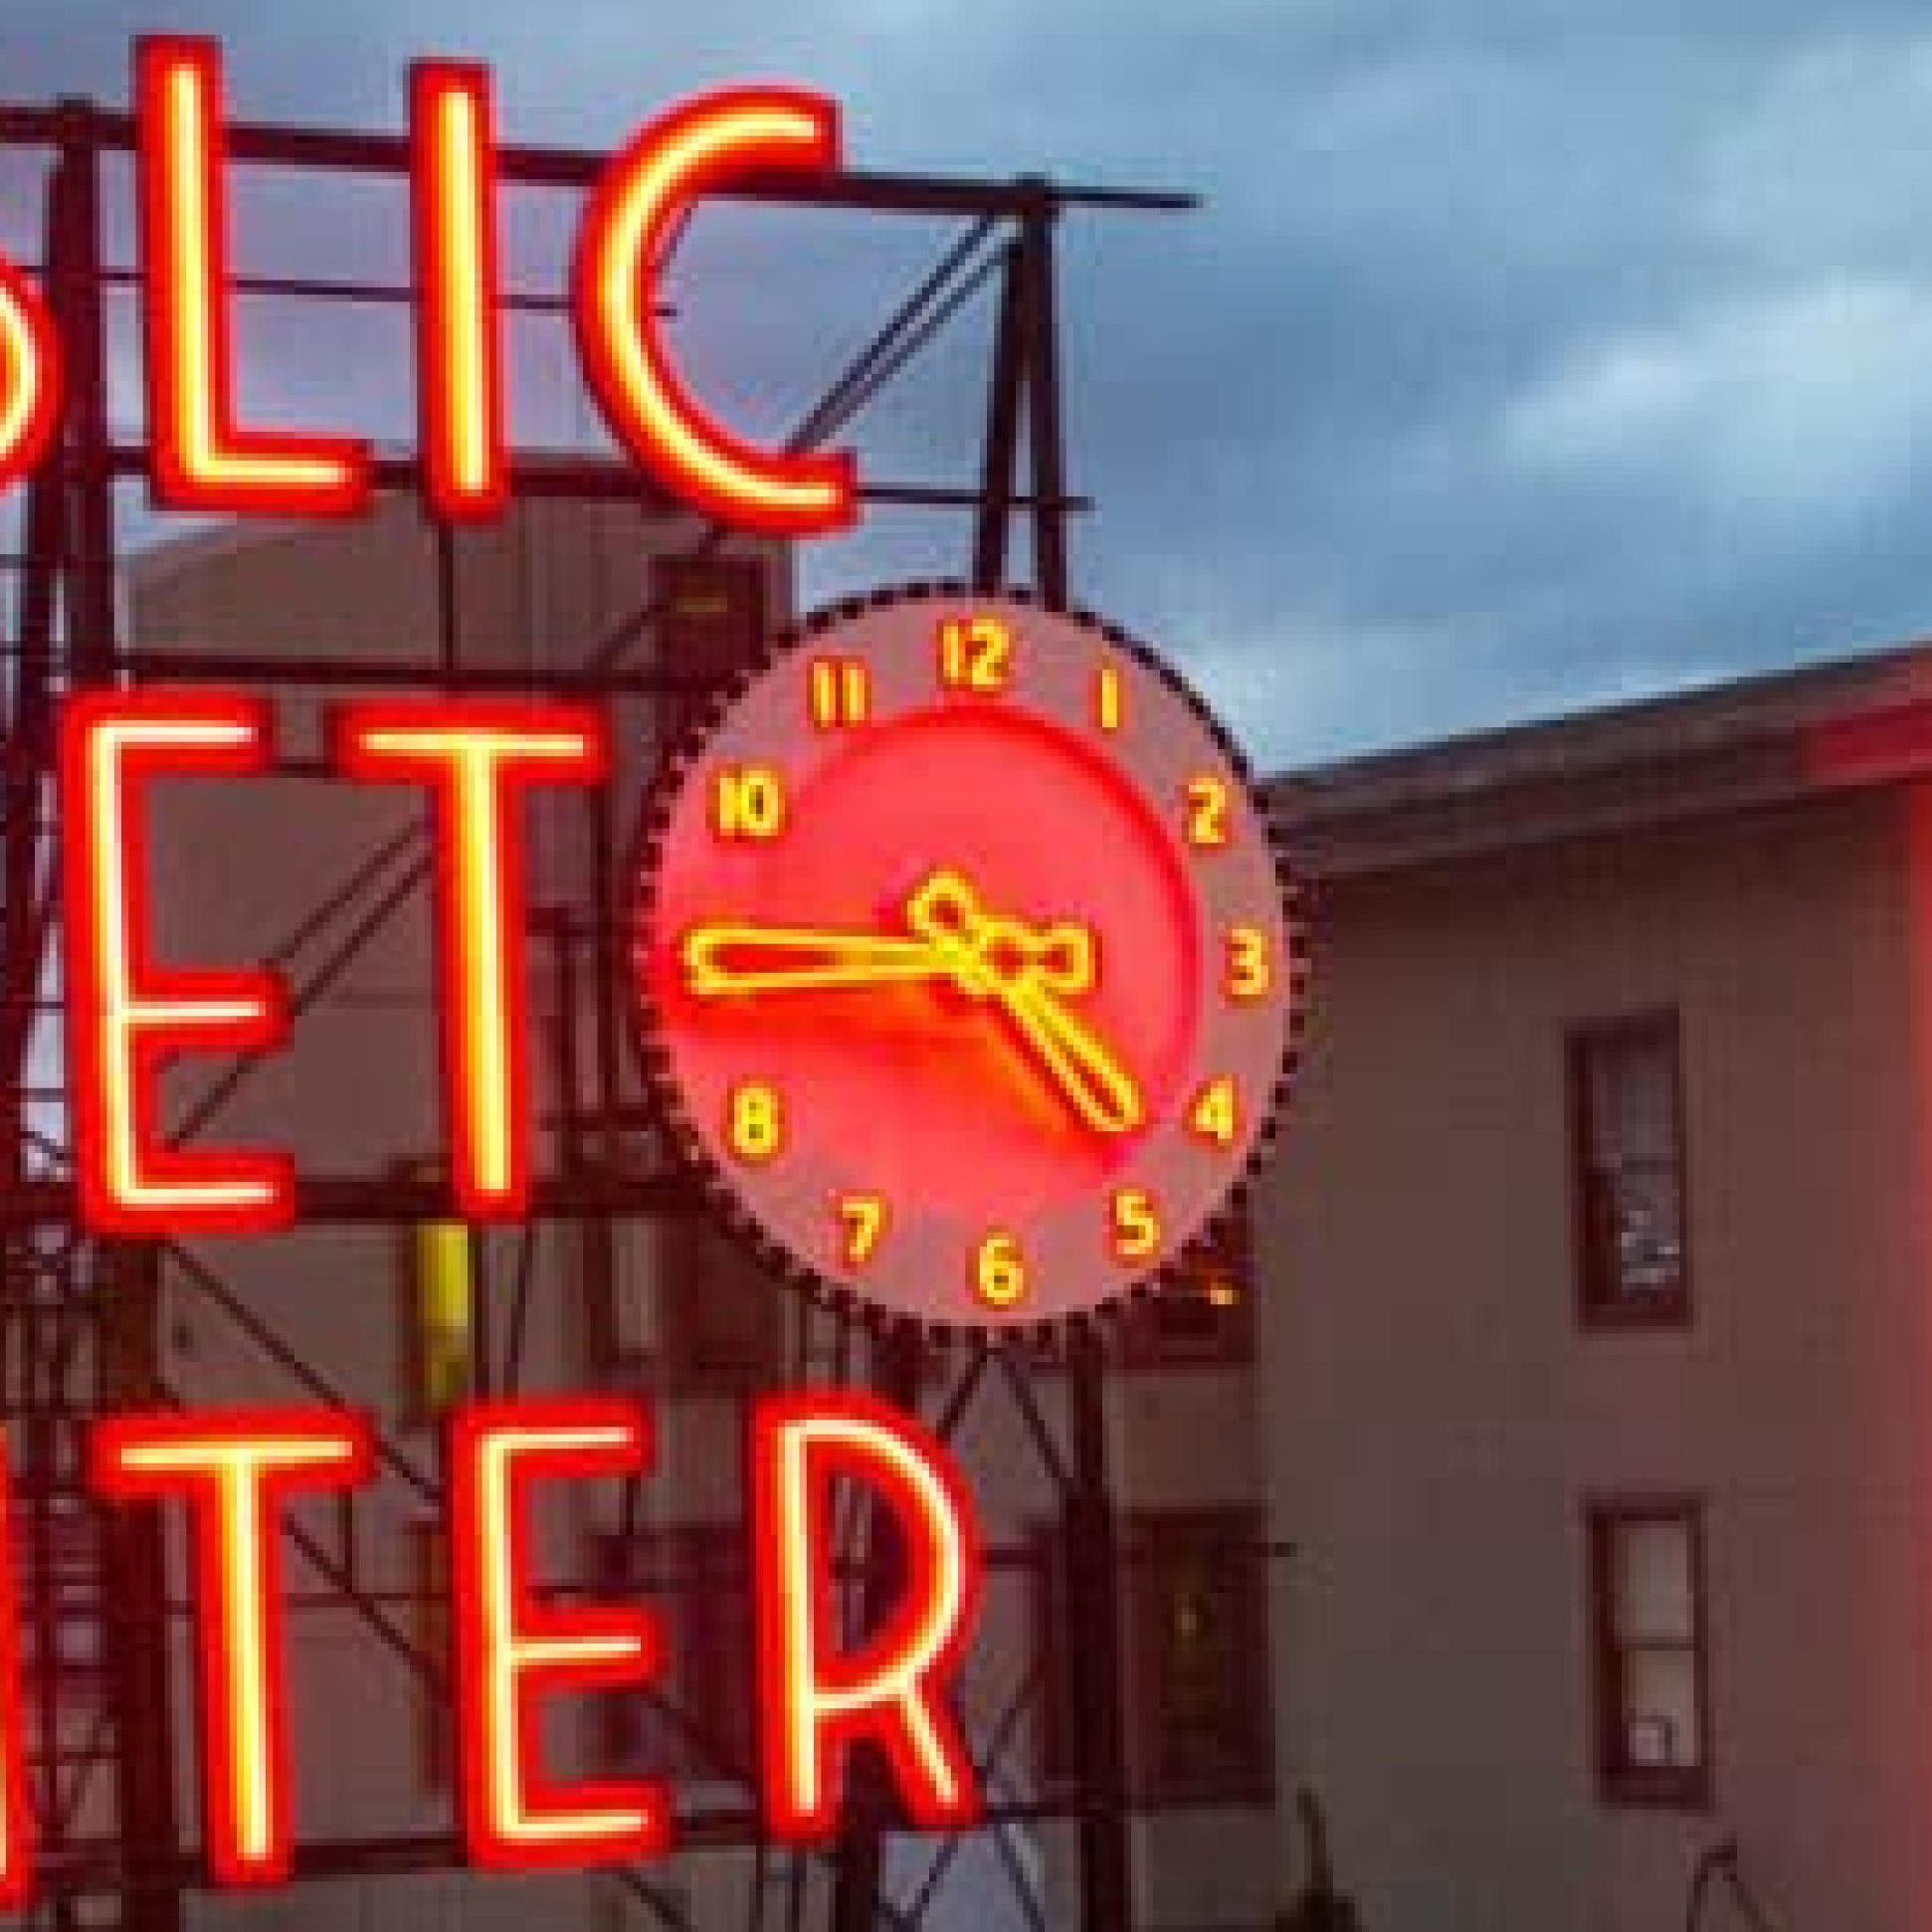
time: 4:44
